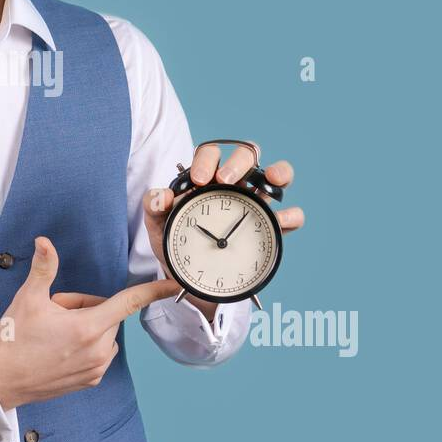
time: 10:06
